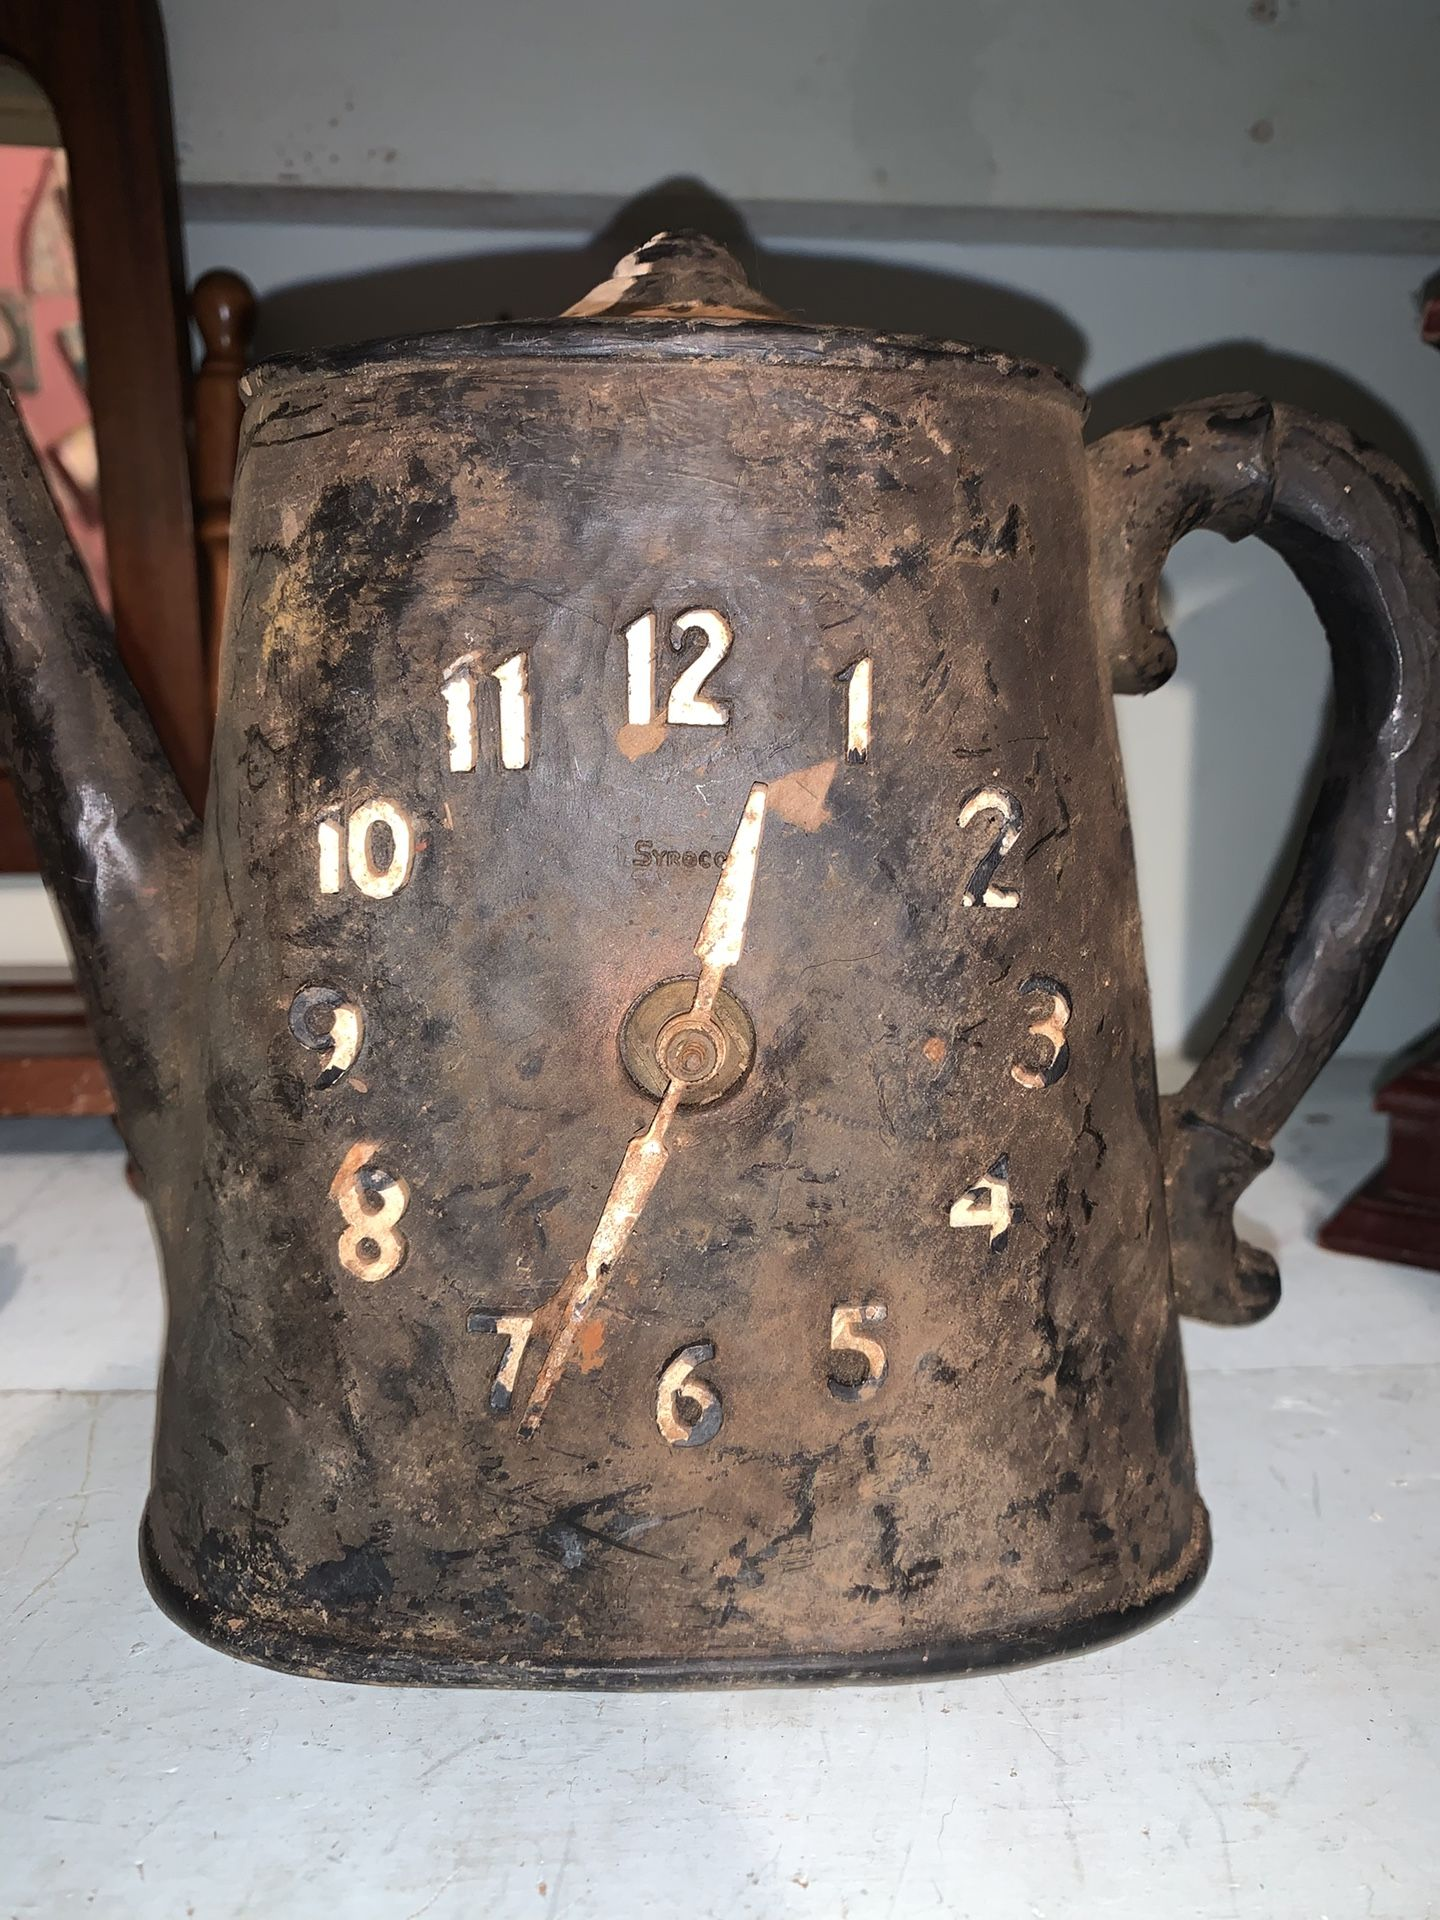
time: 12:34
